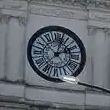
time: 2:02
